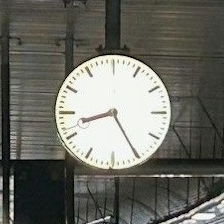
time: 8:25
